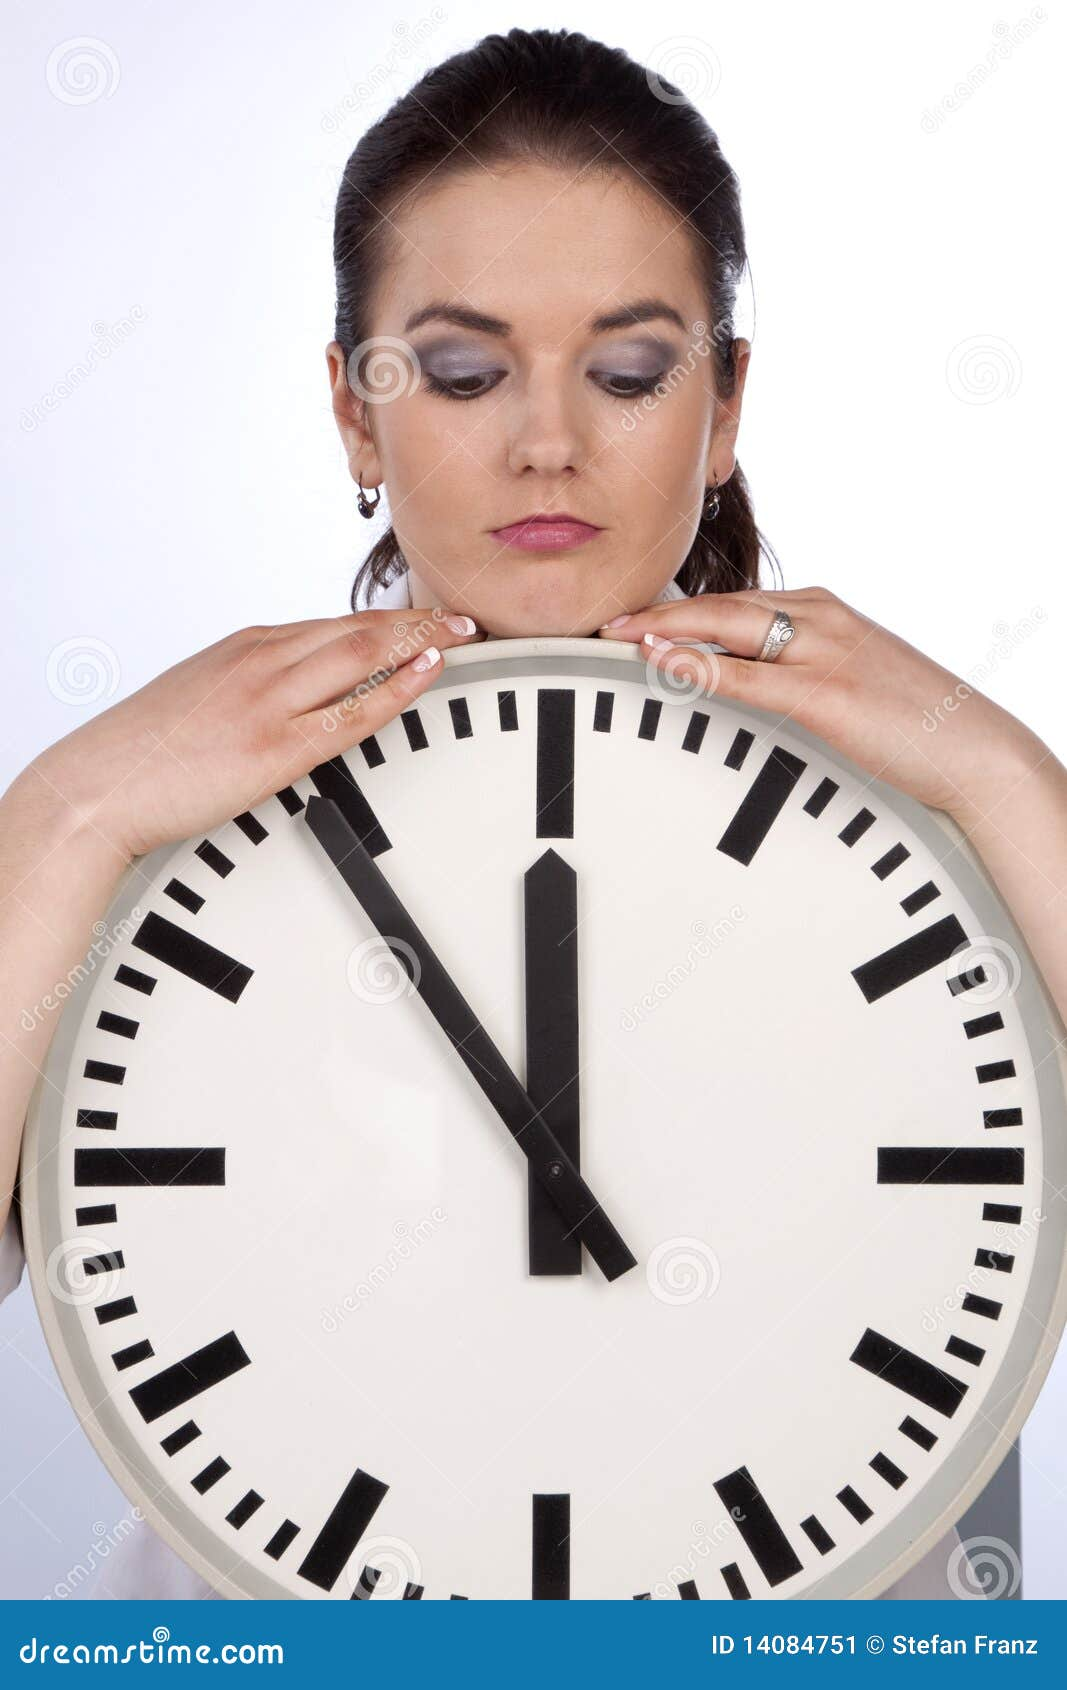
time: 11:54
